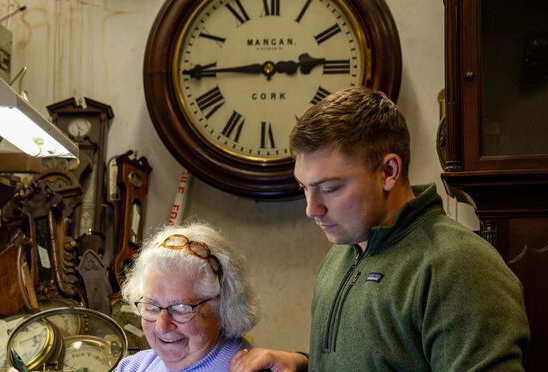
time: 2:44
